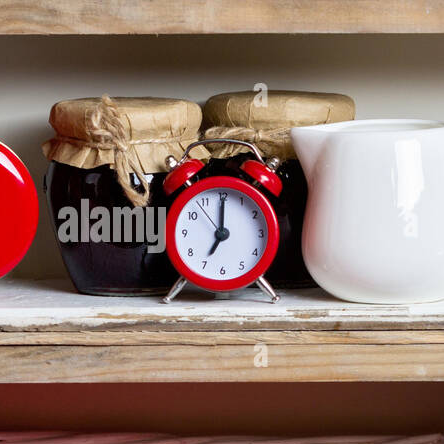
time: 7:00
